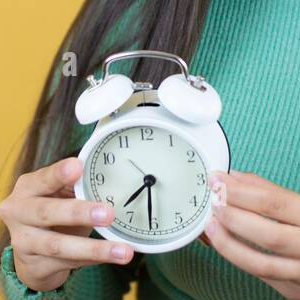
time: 7:30
